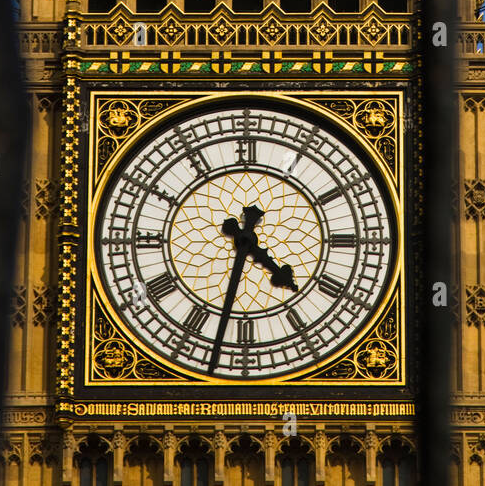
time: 4:32
